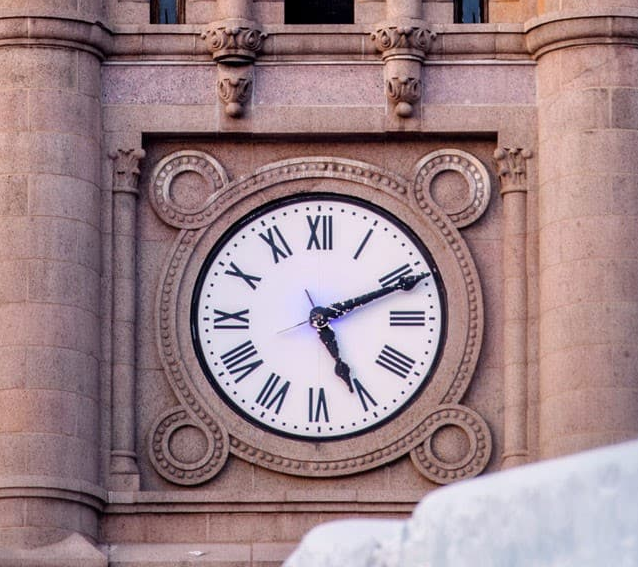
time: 5:11
